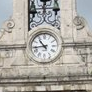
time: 10:43
